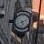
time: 5:11
